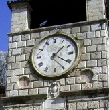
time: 1:20
